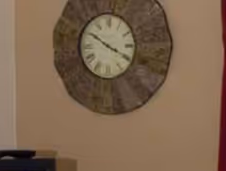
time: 3:50
